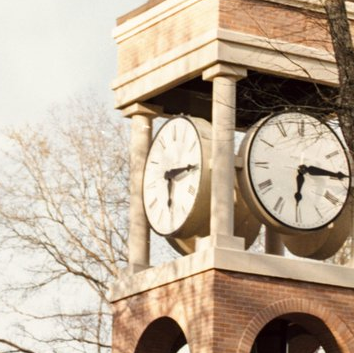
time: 6:15
